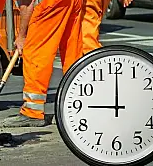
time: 9:00
